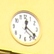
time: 12:20
